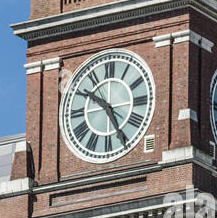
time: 10:25
